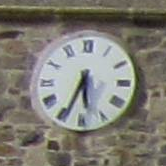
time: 5:33
